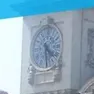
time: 4:29
